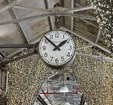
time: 1:52
